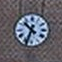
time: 10:33
